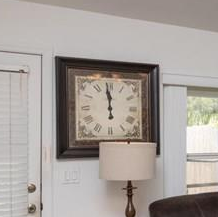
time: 11:58
